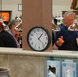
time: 1:22
